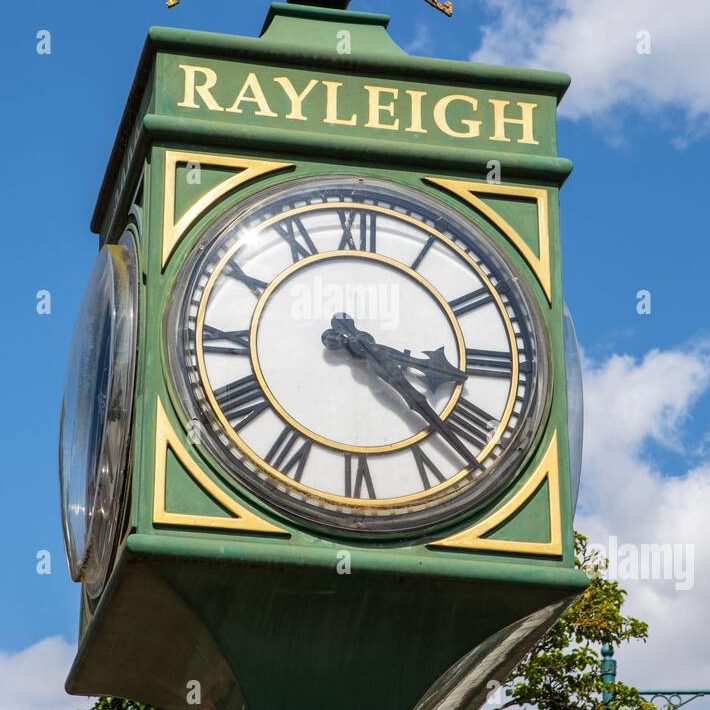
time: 3:22
